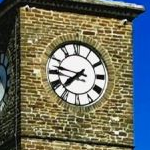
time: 7:46
